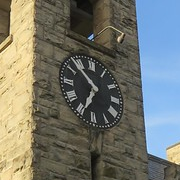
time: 6:53
